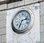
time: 2:34
